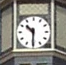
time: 10:30
